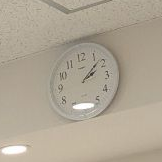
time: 2:08
